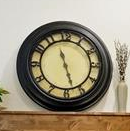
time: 11:27
